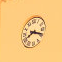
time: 8:18
